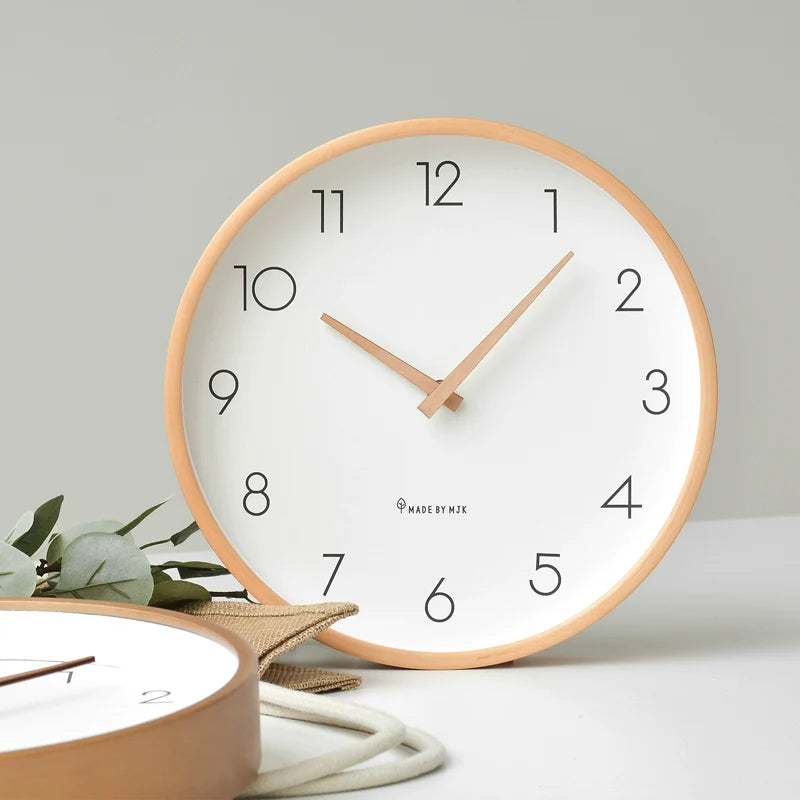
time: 10:07
